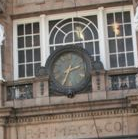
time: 2:33
